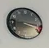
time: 9:16
